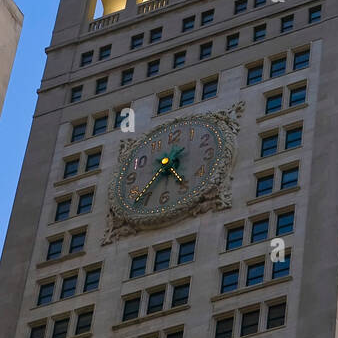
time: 4:37
